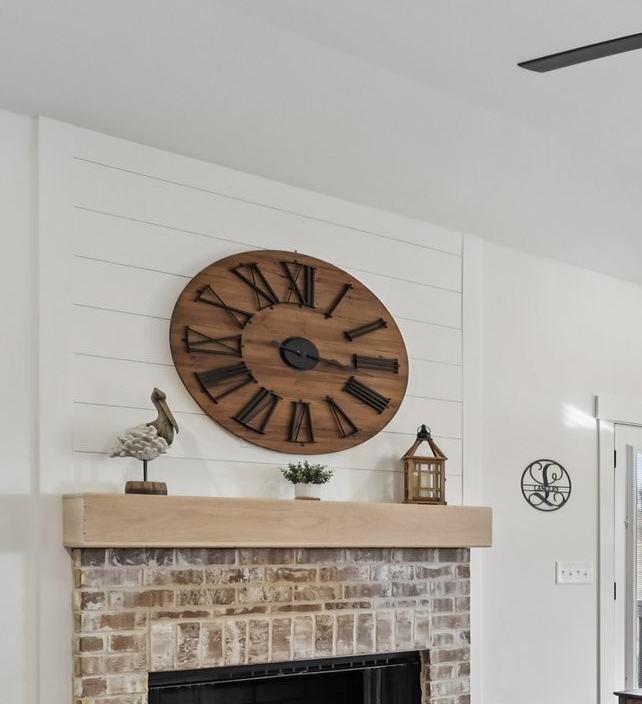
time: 3:16
